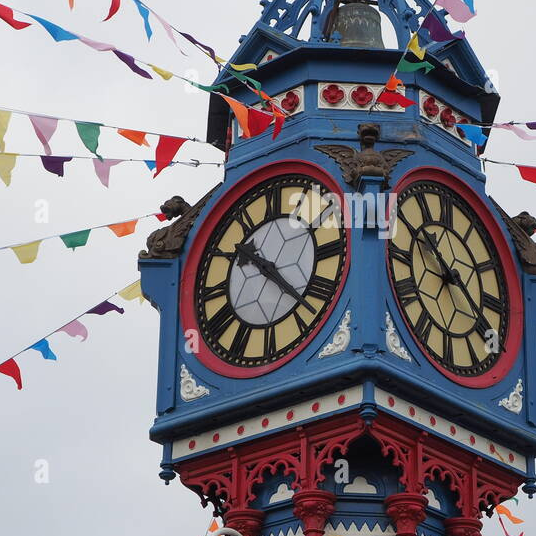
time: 10:22
